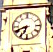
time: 6:41
